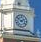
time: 1:51
